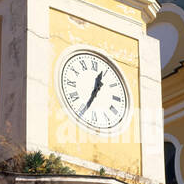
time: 12:34
